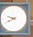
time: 9:40
